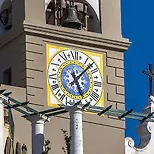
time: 5:07
